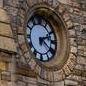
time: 2:21
